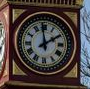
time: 1:58
